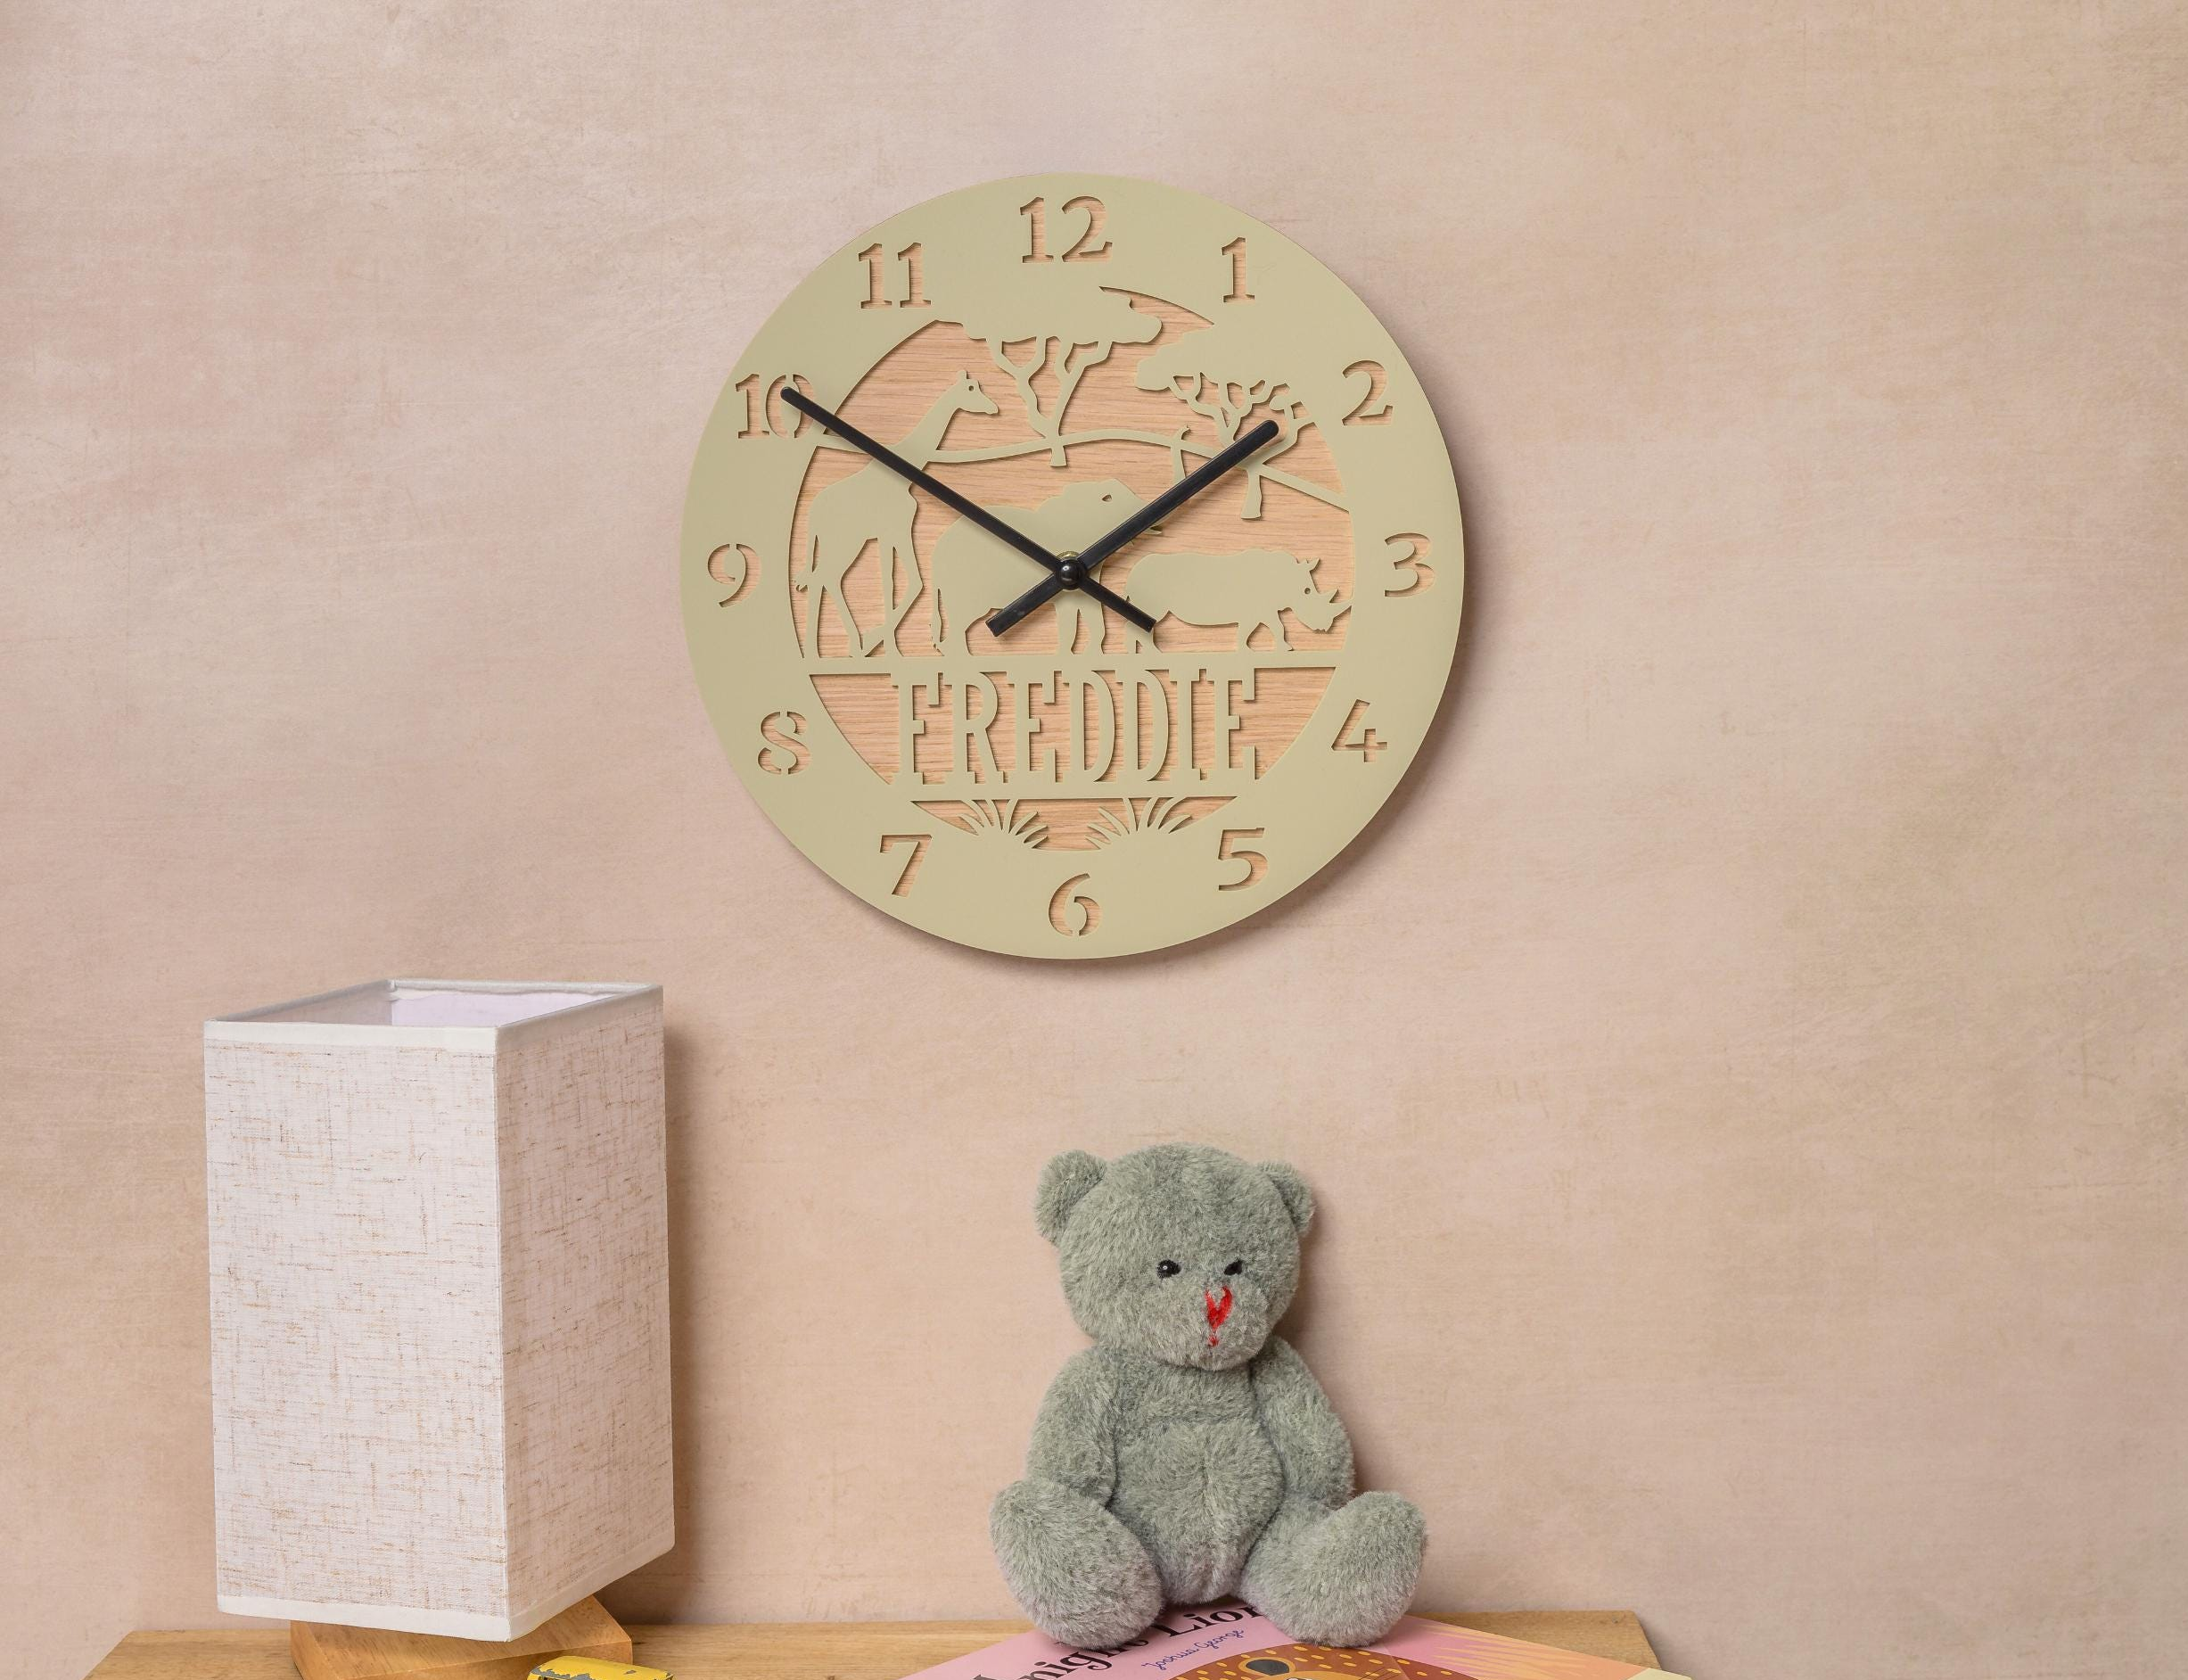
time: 1:50
